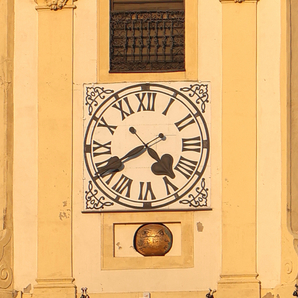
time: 4:40
